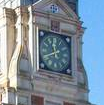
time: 11:40
